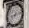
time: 8:12
